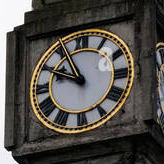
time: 9:54
